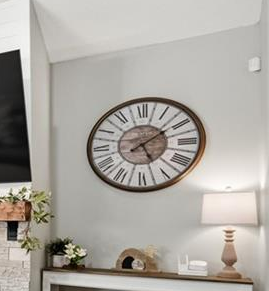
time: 5:09
